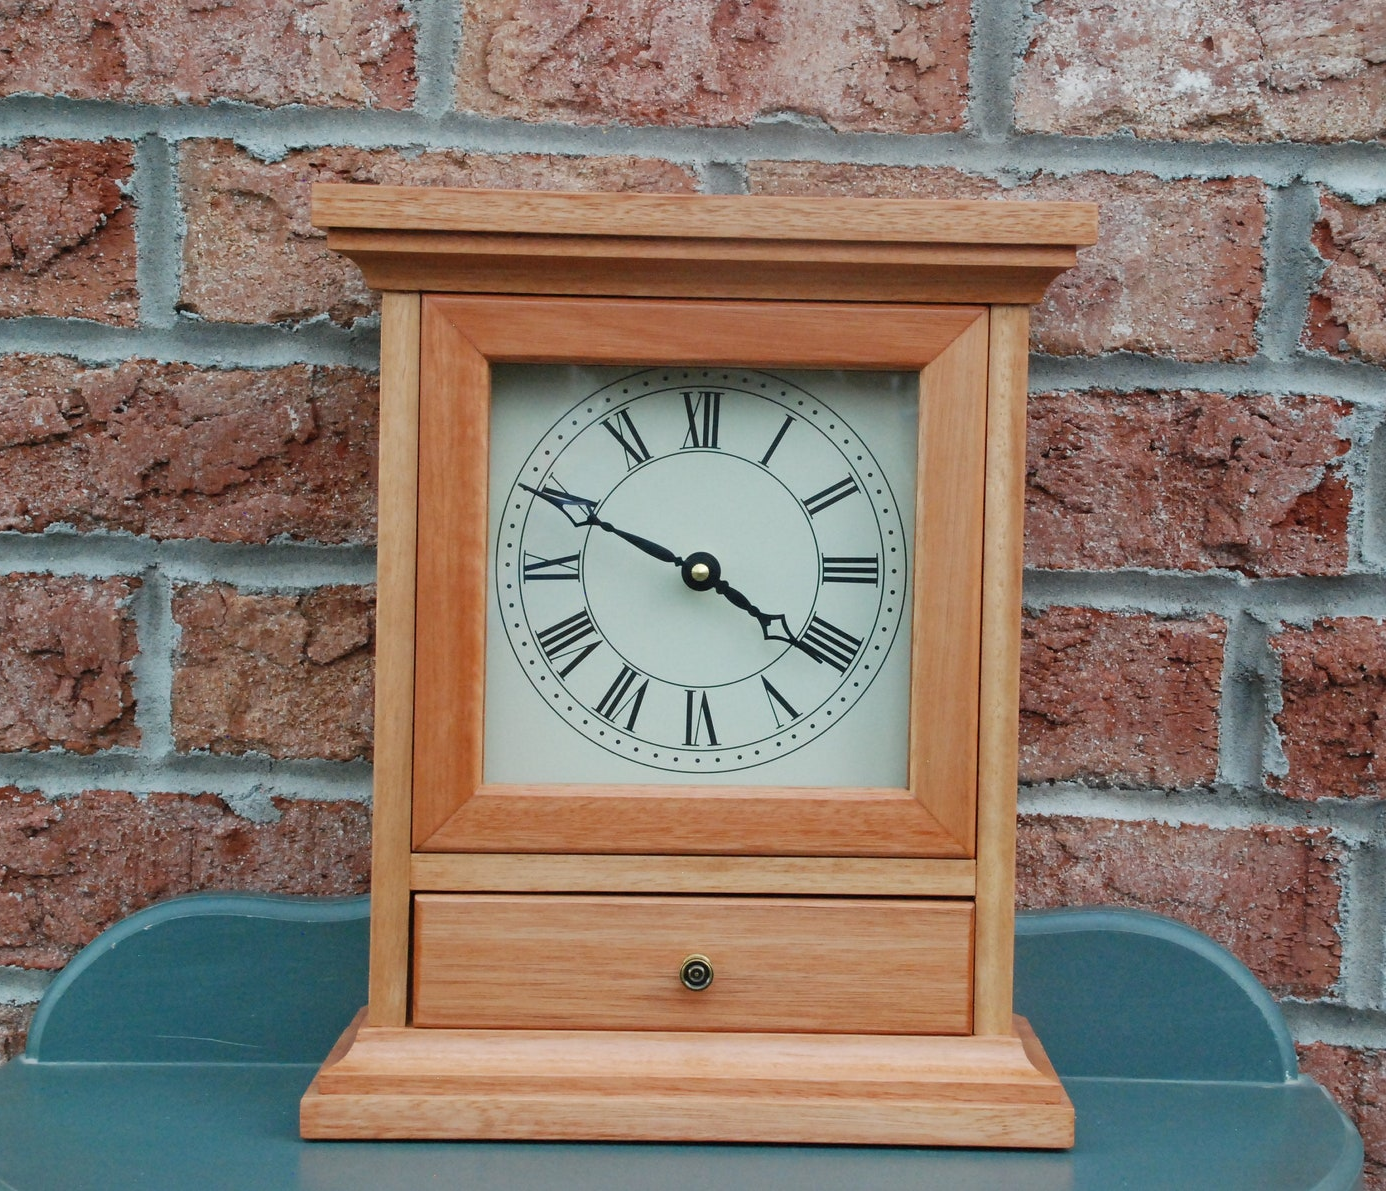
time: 3:49
